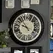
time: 9:53
